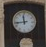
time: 11:43
